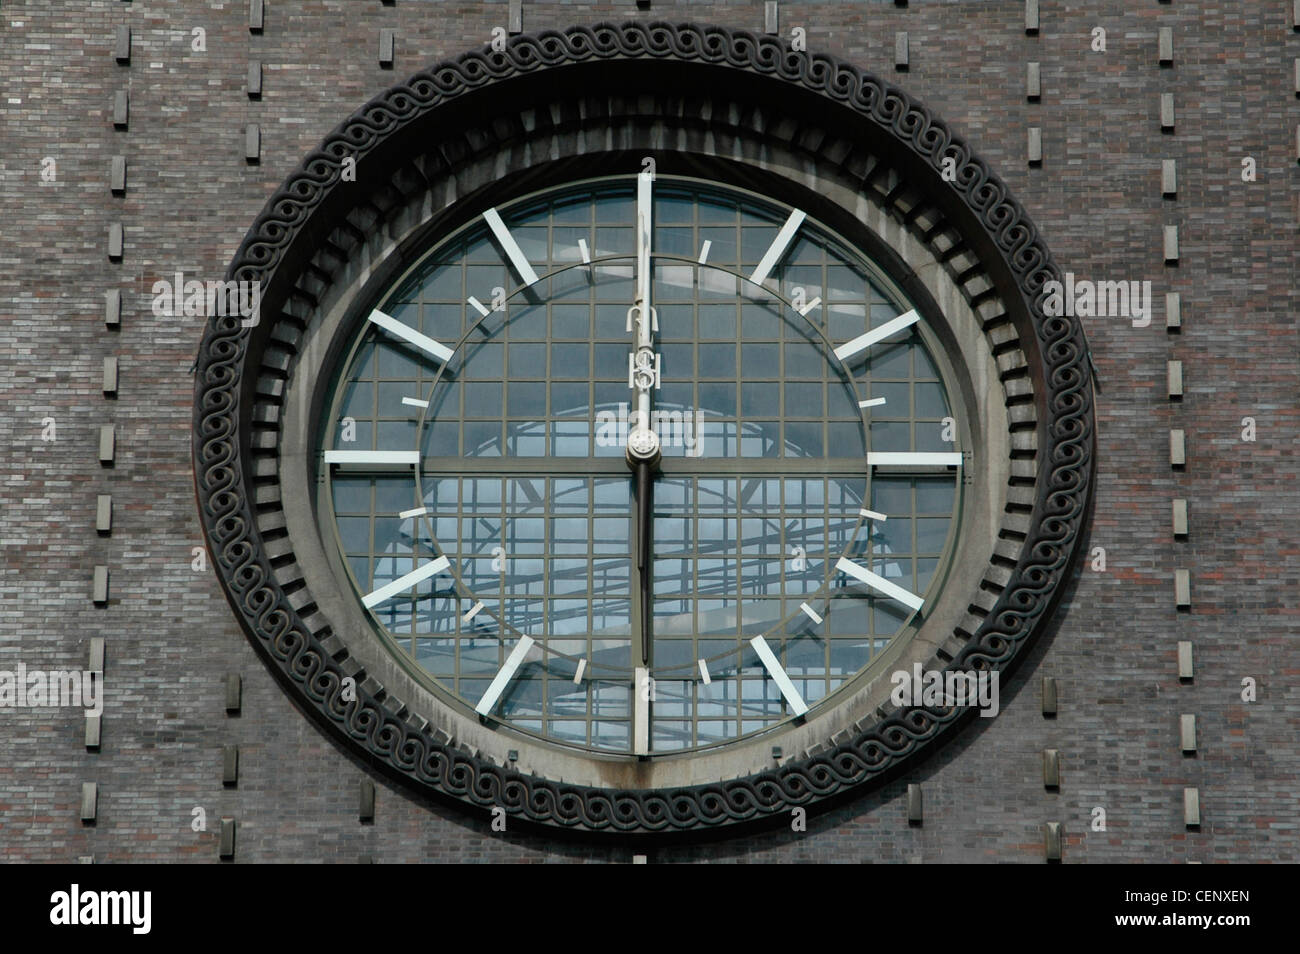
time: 5:59
